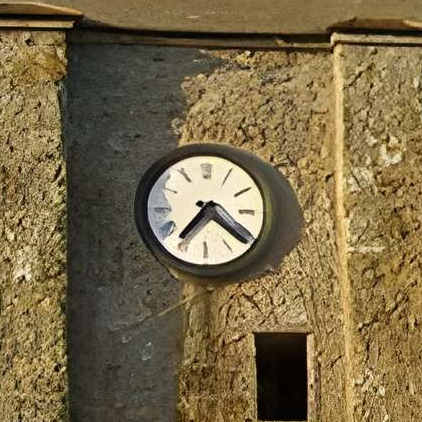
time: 7:21
